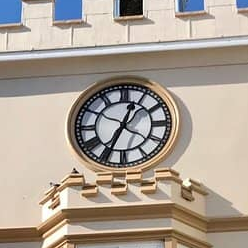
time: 12:34
